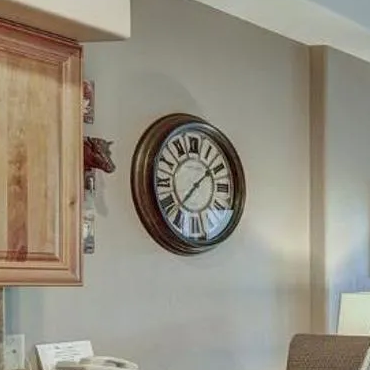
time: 1:37
